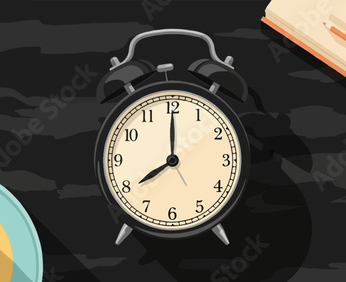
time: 8:00
